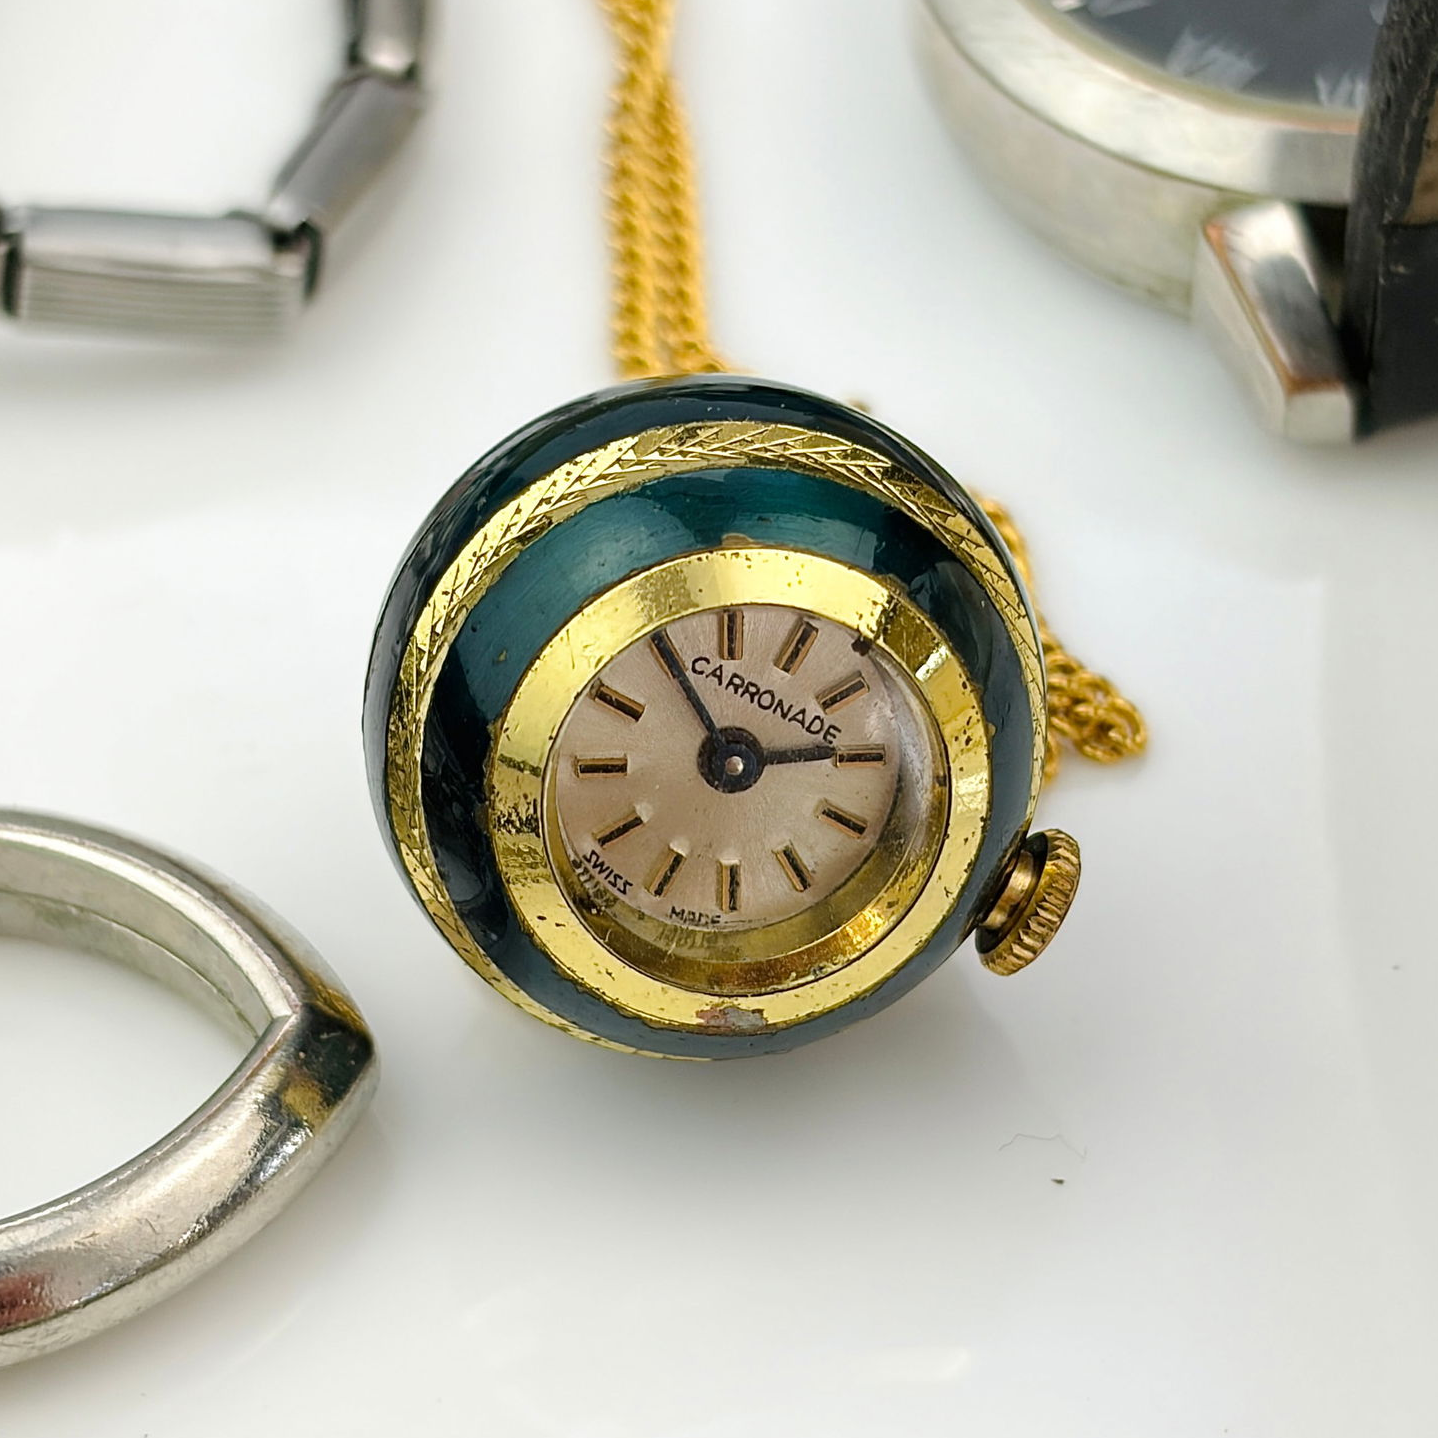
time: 2:54
